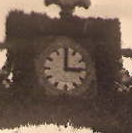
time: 3:00
